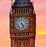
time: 4:26
